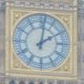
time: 2:01
